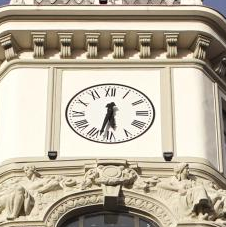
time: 5:32
